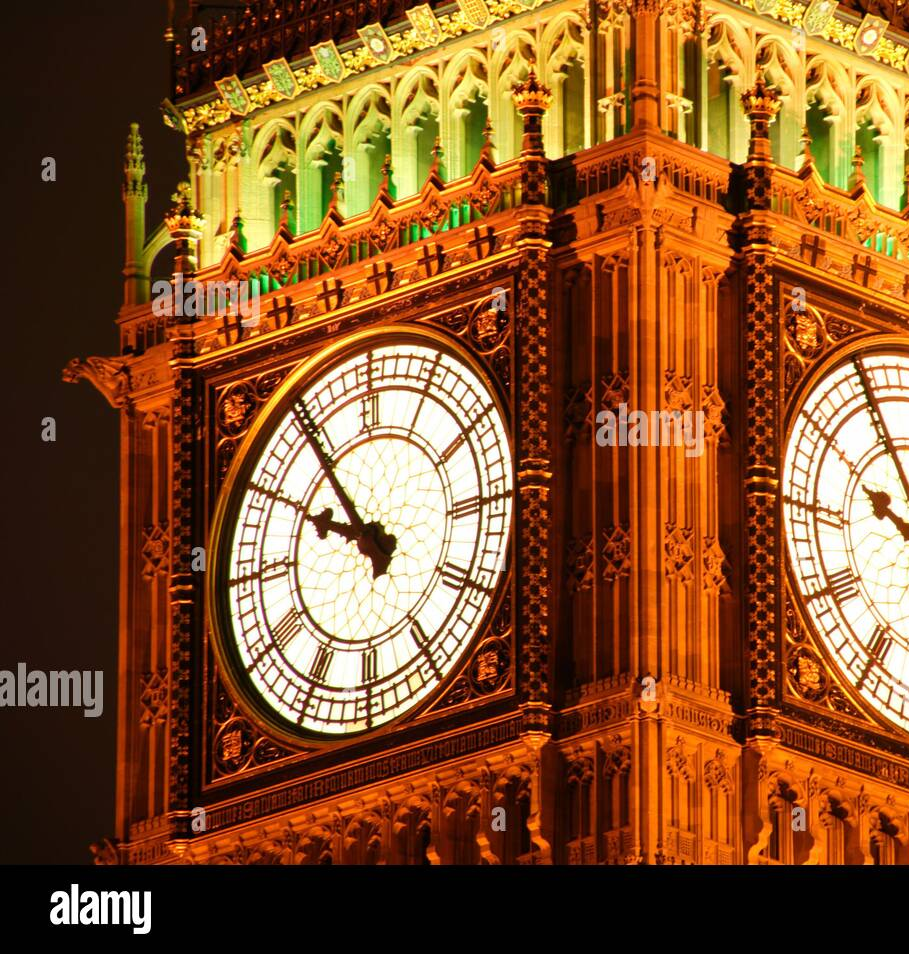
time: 9:54
